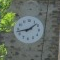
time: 1:42
